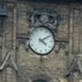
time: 4:09
